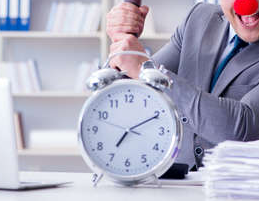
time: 7:10
